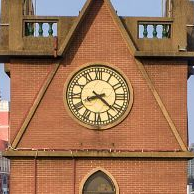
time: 8:21
